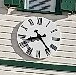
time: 8:24
